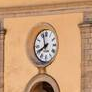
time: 7:57
